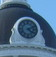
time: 4:11
